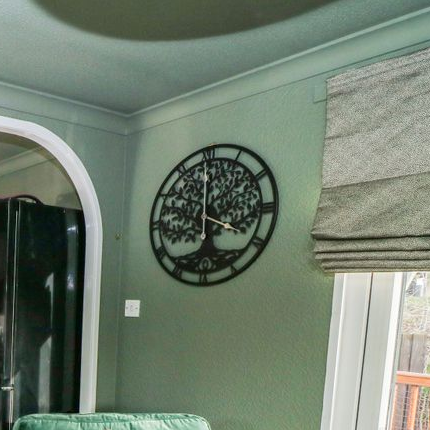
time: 5:59
